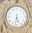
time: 5:31
